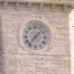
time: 7:07
